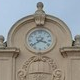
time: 3:38
